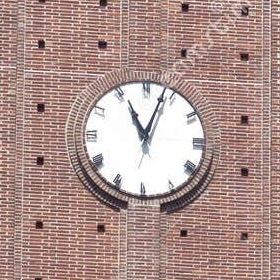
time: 11:03
